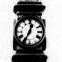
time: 12:34
